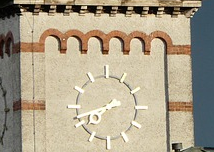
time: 7:42
